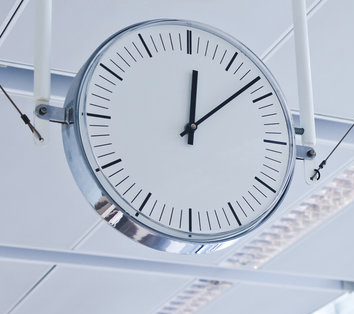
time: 12:08
